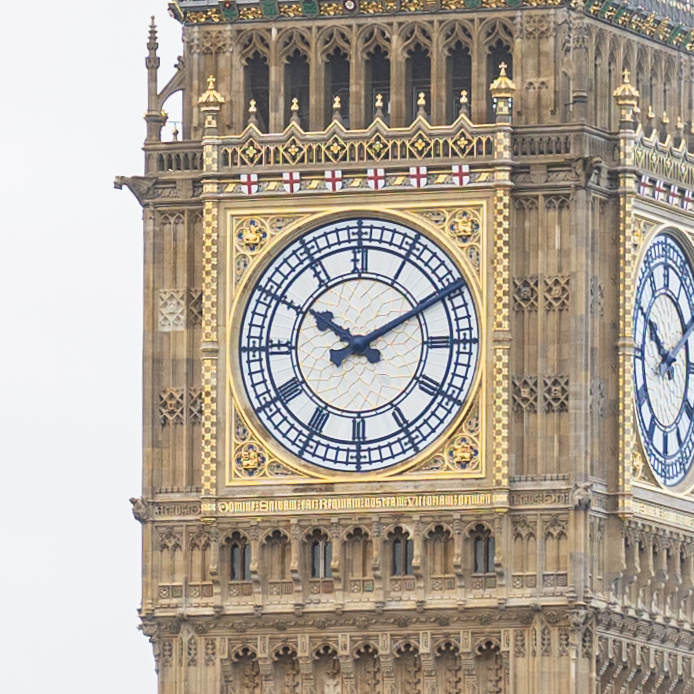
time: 10:10
